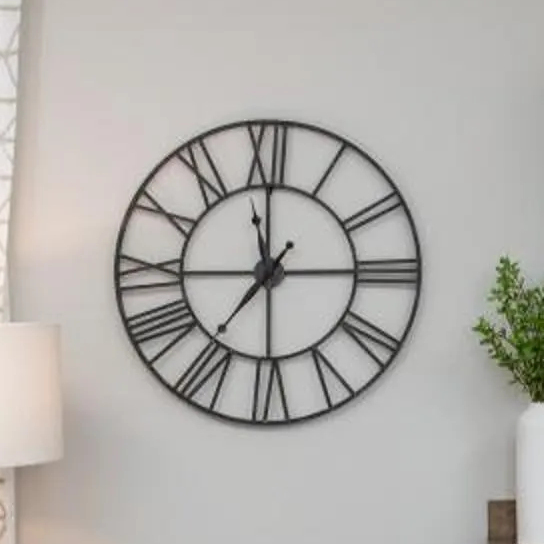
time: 7:14
